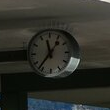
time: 11:36
